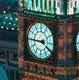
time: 3:44
